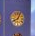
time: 8:04
